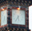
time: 5:35
